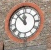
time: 11:53
